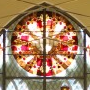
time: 5:59
